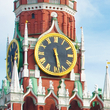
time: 5:28
